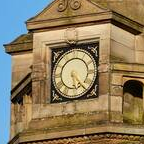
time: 5:23
